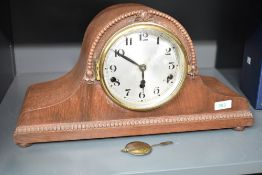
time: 5:49
